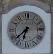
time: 6:38
